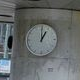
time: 1:00
